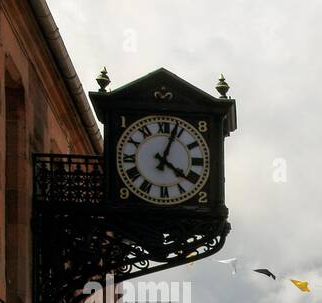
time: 4:03
